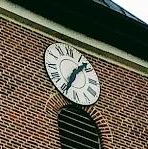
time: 1:34
